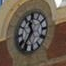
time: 11:36
